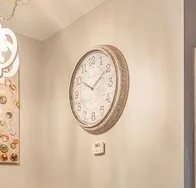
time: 10:09
